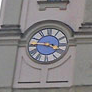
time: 3:45
